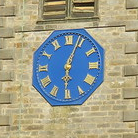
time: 6:03
